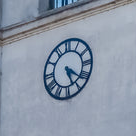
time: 5:21
